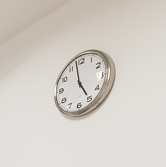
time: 4:57
